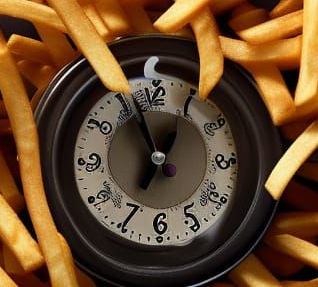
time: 6:56
